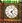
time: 5:07
